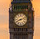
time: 8:12
